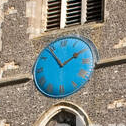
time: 1:54
